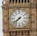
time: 7:38
